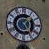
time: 1:24
